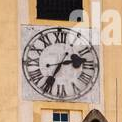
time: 2:35
